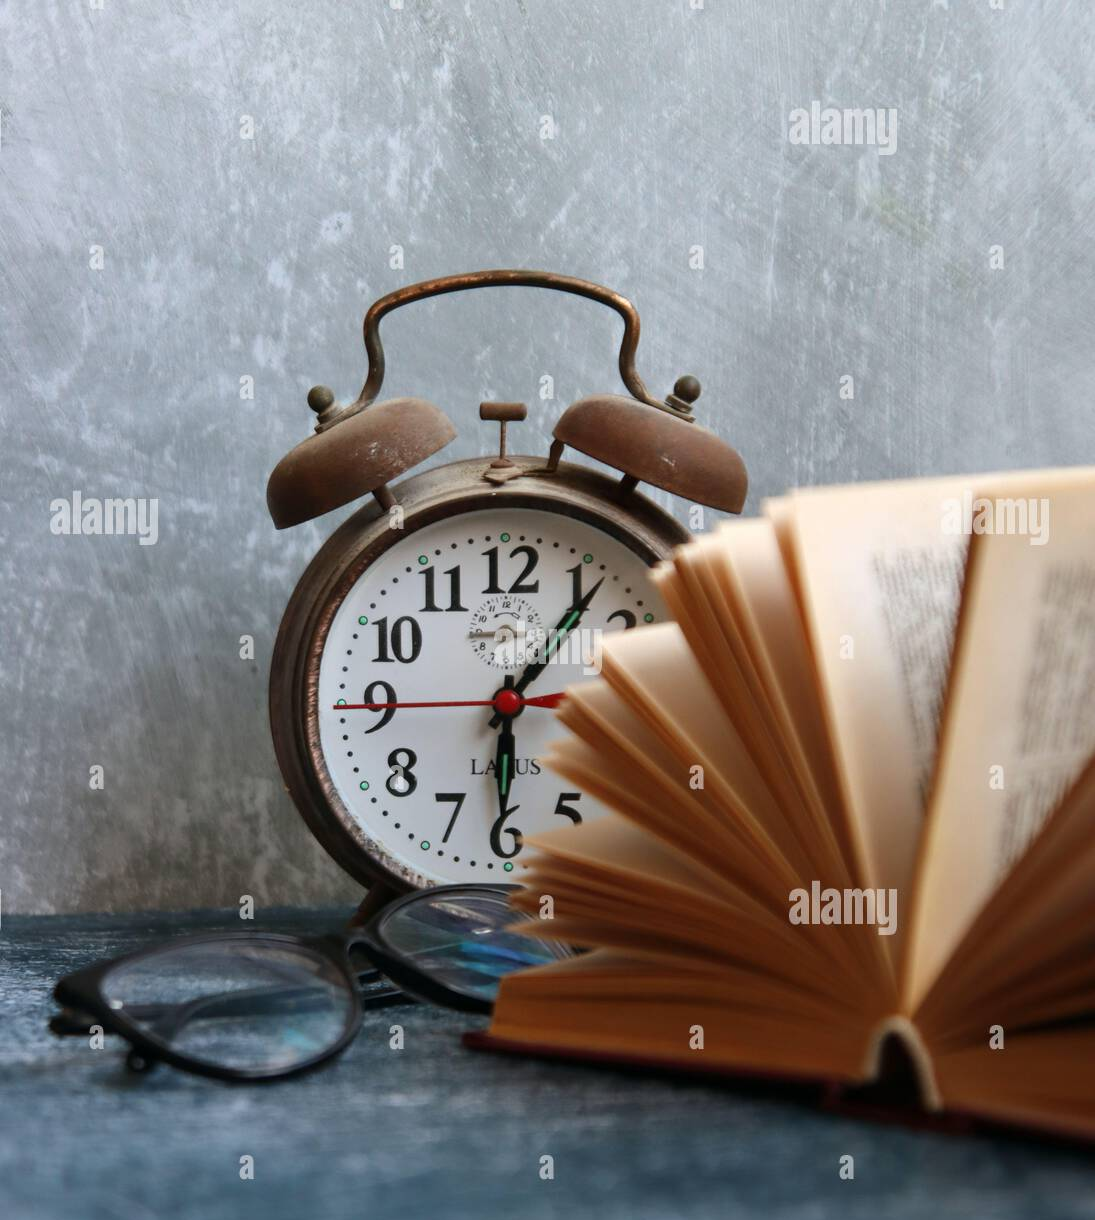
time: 6:06
